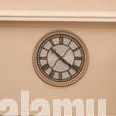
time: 10:20
